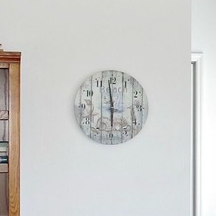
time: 5:59
